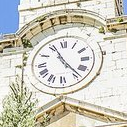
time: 11:23
